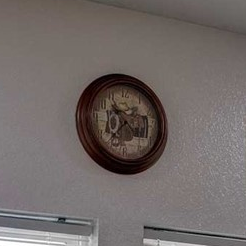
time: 10:36
